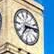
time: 7:13
